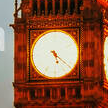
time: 5:21
